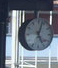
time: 5:03
